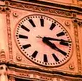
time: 4:14
